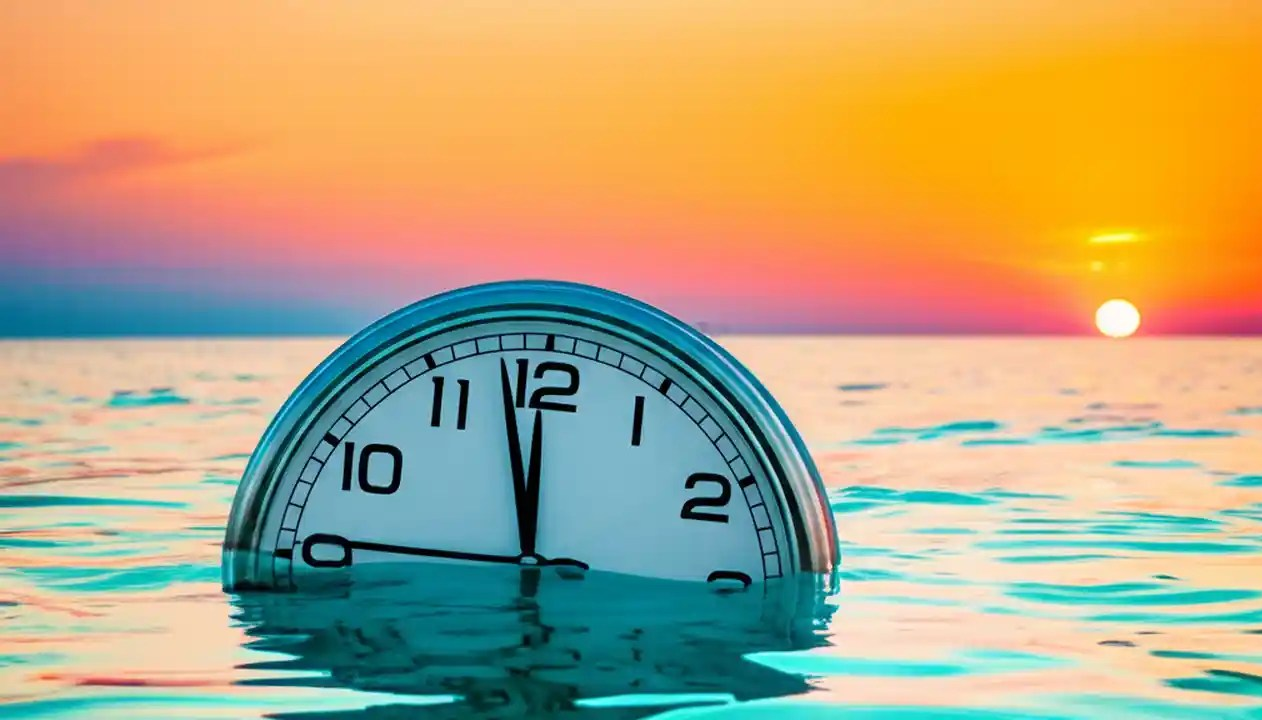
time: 11:57
